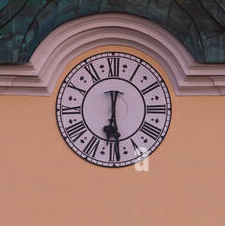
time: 6:29
